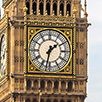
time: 1:32
